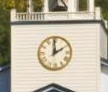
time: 1:59
